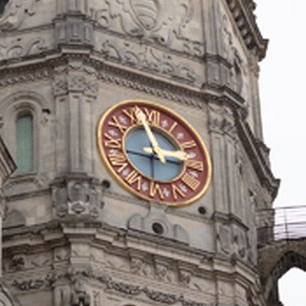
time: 2:57
